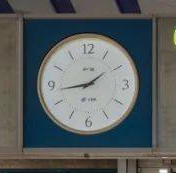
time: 1:43
